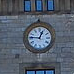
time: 12:46
